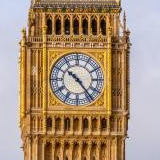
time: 10:23
